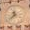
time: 11:37
